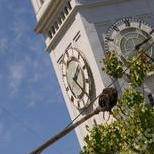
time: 1:20
